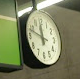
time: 11:48
